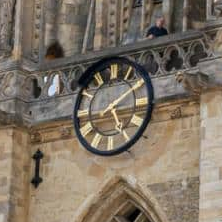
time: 5:09
